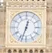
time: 12:33
